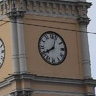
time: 8:03
